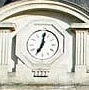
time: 7:01
